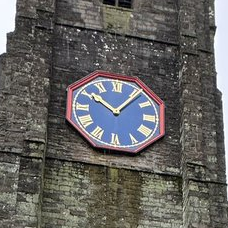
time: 10:06
